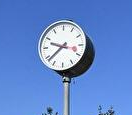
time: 9:38
